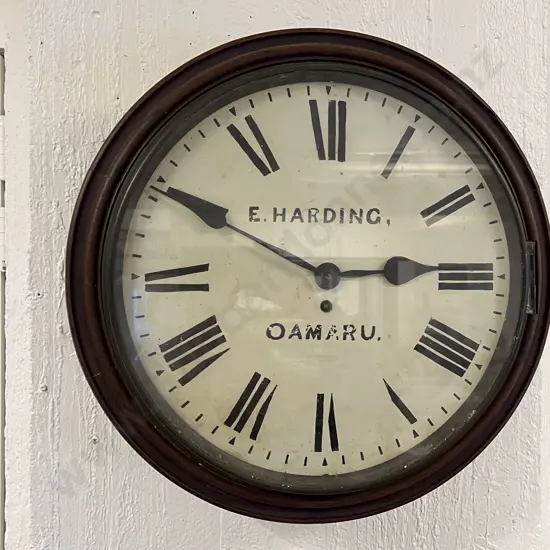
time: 2:49
